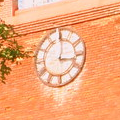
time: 3:01
